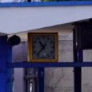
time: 10:37
